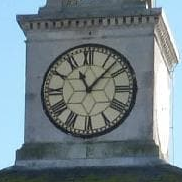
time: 11:07
